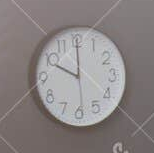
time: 10:00
